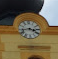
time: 3:43
